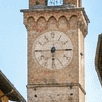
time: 6:14
